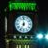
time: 6:59
